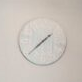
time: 1:38
